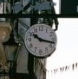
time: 10:17
